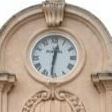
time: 12:31
